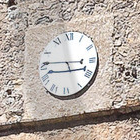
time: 2:45
